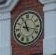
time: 11:17
